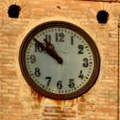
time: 10:51
